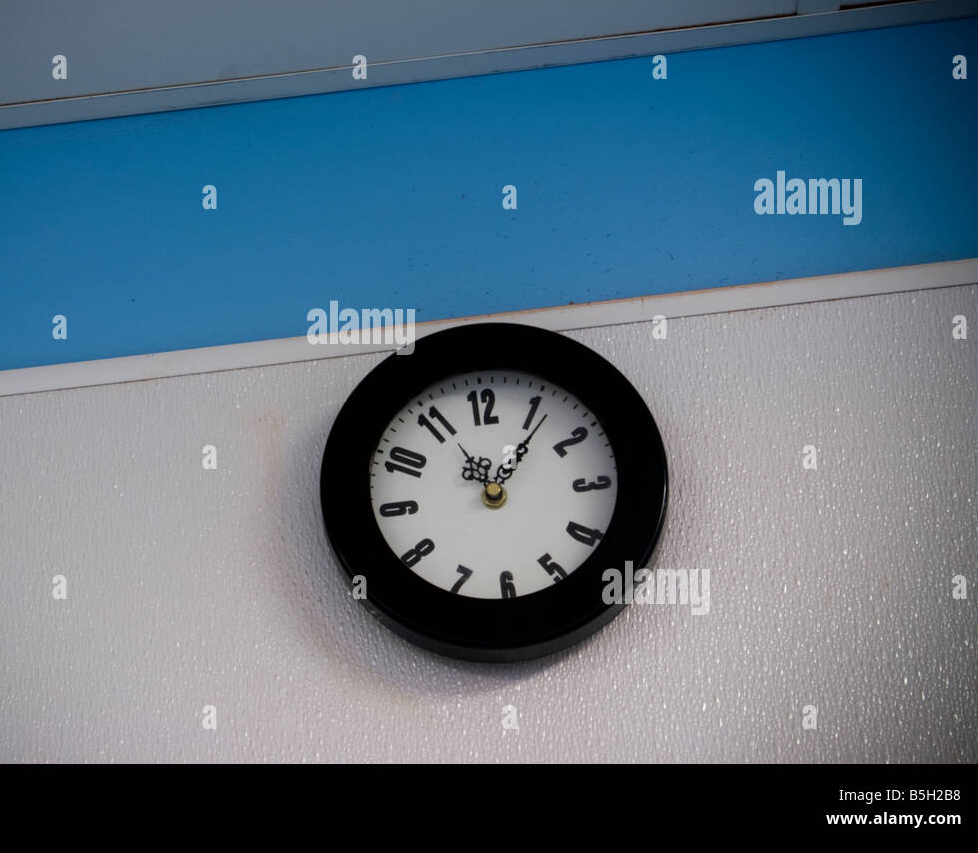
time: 11:05
